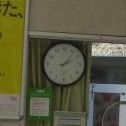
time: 2:06
